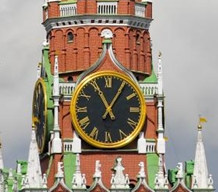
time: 11:05
